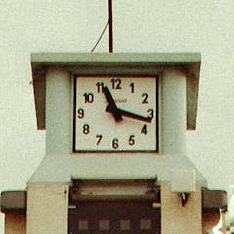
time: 11:17
